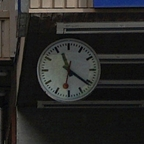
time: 11:21
